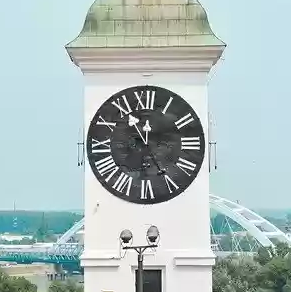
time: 11:55
